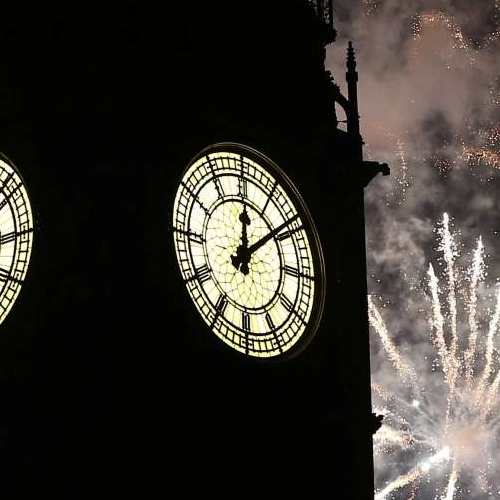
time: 12:08
